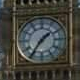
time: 1:36
